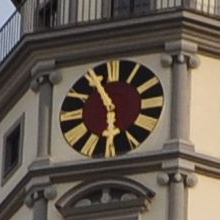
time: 5:55
